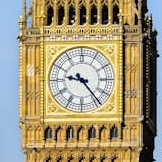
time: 9:23
